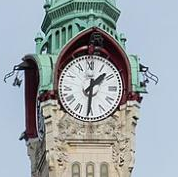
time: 1:30
